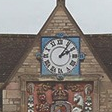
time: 2:06
